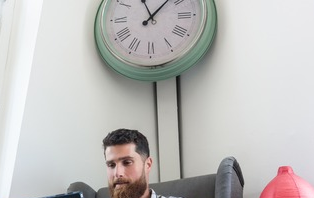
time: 11:07
